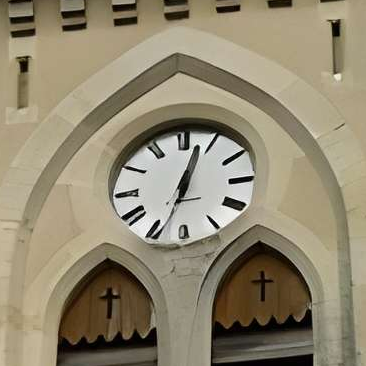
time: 12:33
